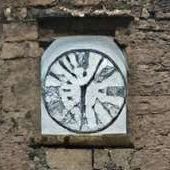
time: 6:06
